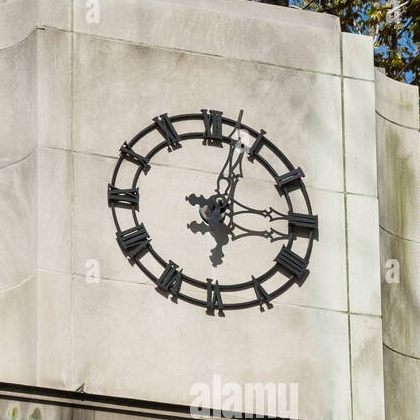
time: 6:02
